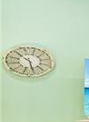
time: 5:51
